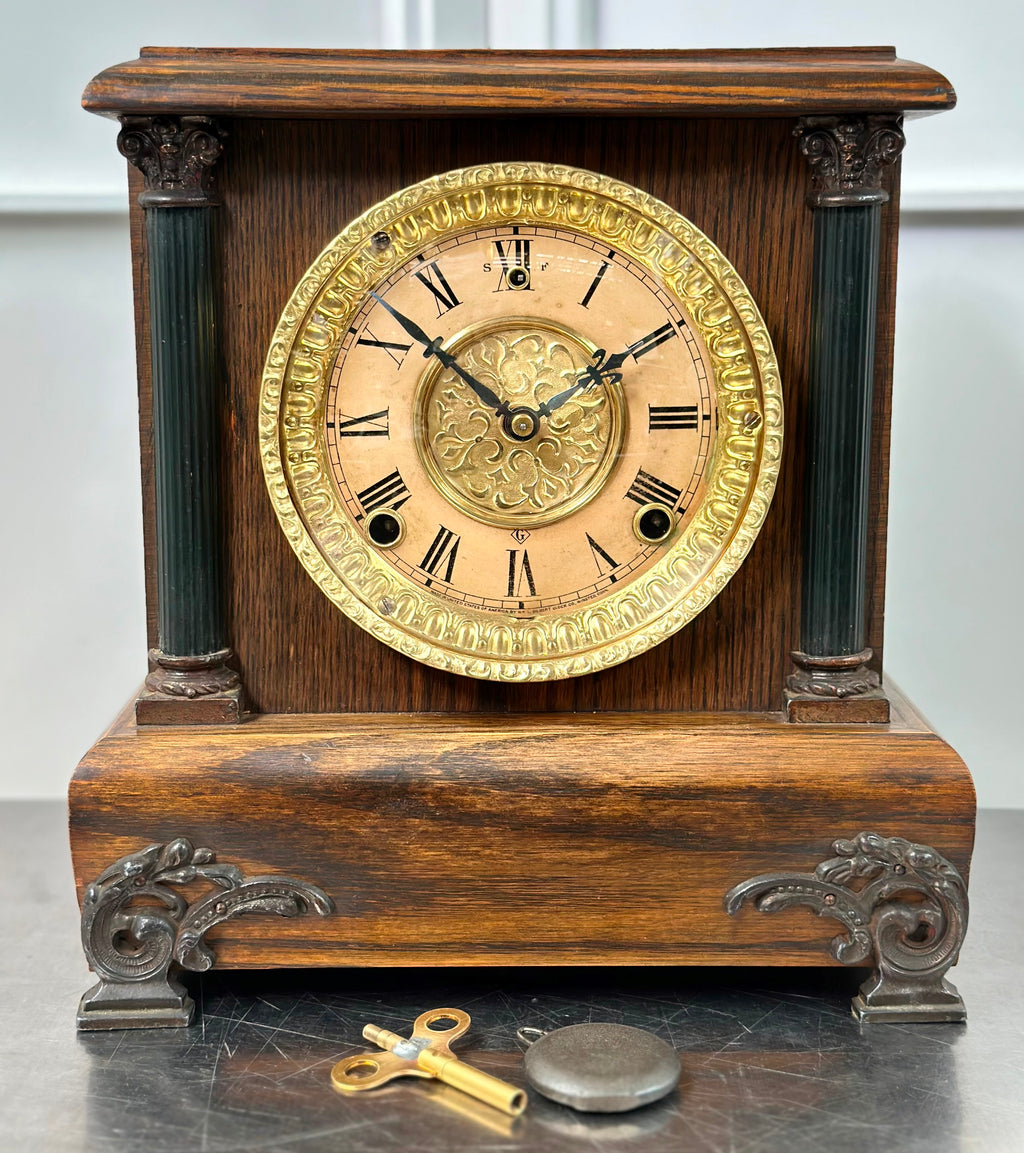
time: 1:52
